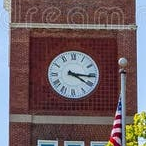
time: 4:16
